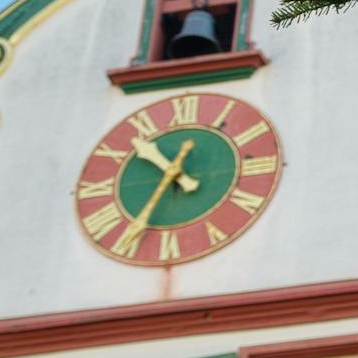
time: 10:35
